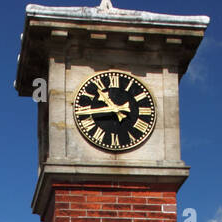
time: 10:43
